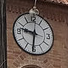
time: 9:31
